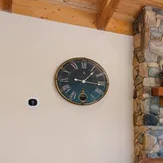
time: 1:16
